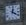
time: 4:01
